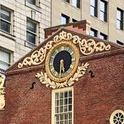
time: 5:30
